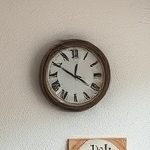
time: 12:20
